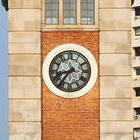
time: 8:36
